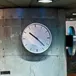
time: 10:22
